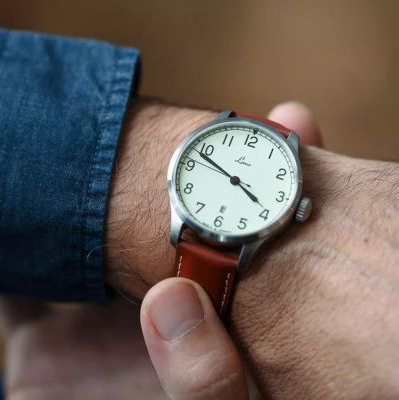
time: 3:48
